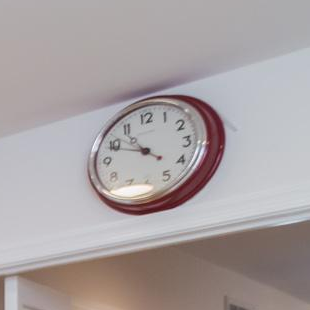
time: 10:48
